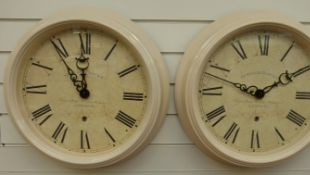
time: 11:54
